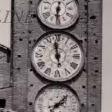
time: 11:58
